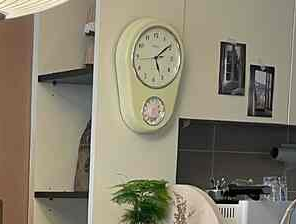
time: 5:09
